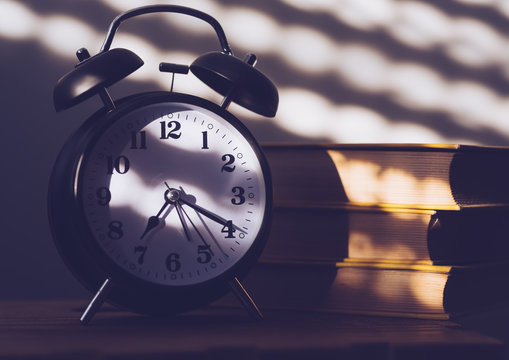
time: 5:19
